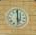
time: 6:00
